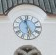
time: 11:28
